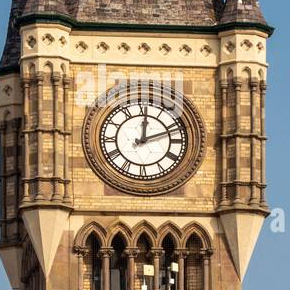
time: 12:11
